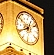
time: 12:40
